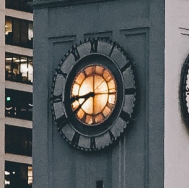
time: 8:38
